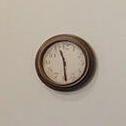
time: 11:29
